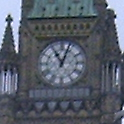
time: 11:03
